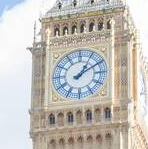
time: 1:09
